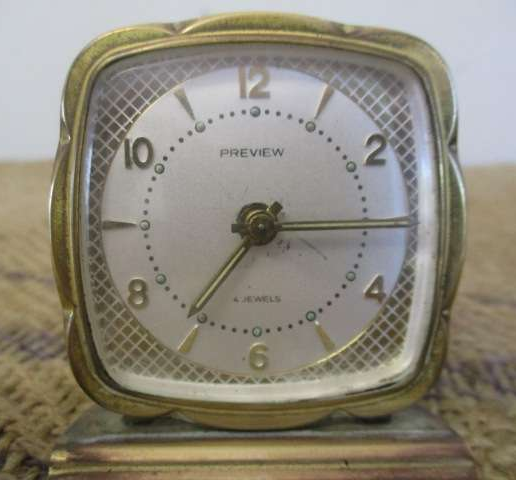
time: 7:15
